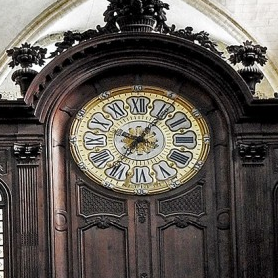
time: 10:05
